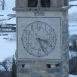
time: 3:26
